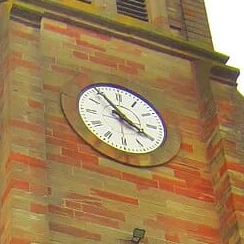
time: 3:54
